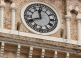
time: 11:41
